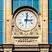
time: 3:01
